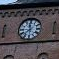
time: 11:37
